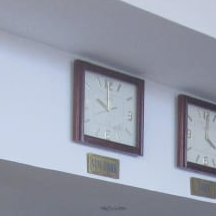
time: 9:59
